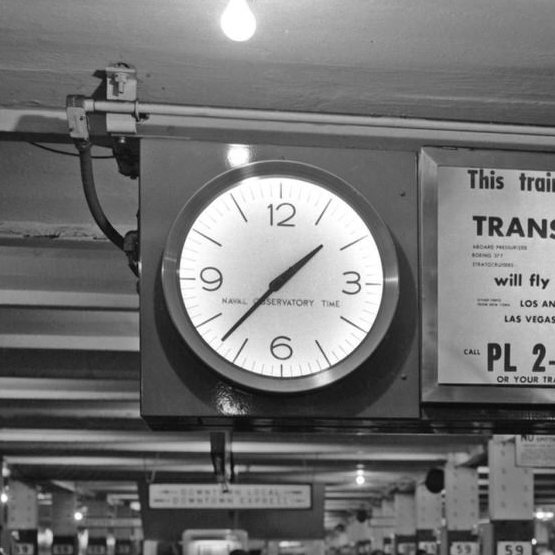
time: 1:37
